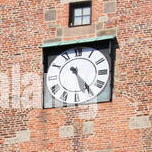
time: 5:24
